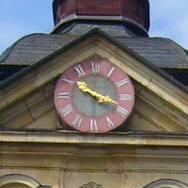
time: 10:18
